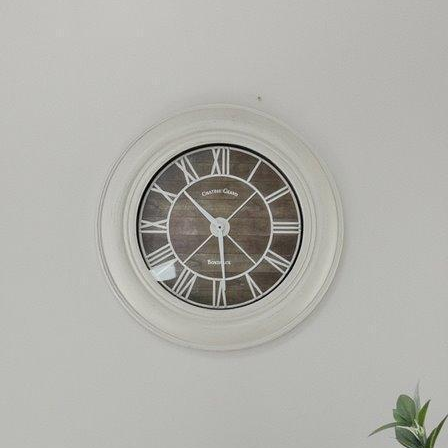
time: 10:29
